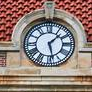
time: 1:28
